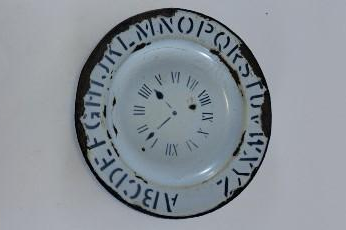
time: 10:37
